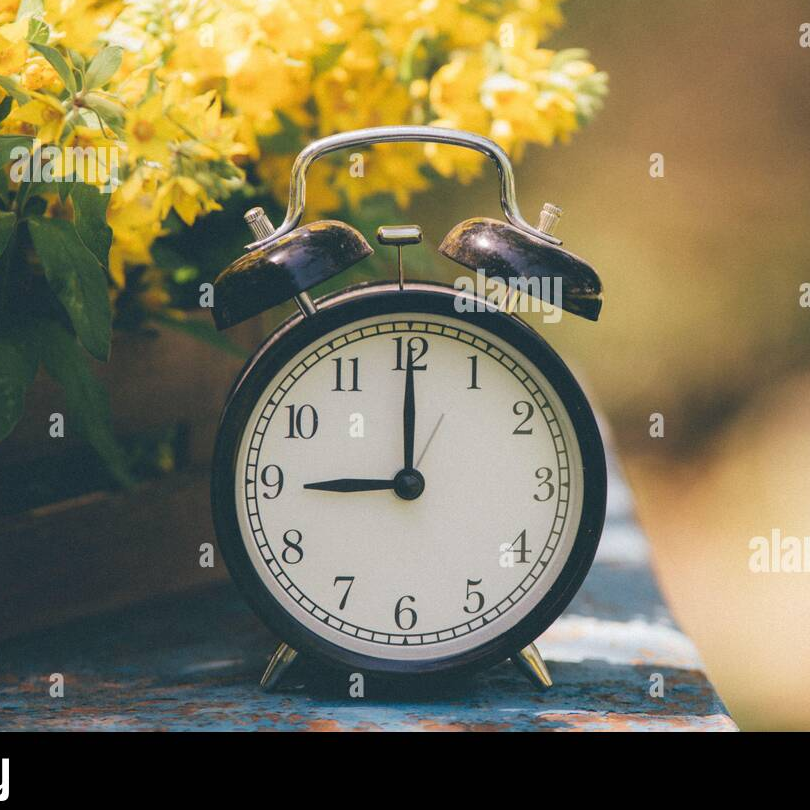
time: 9:00
